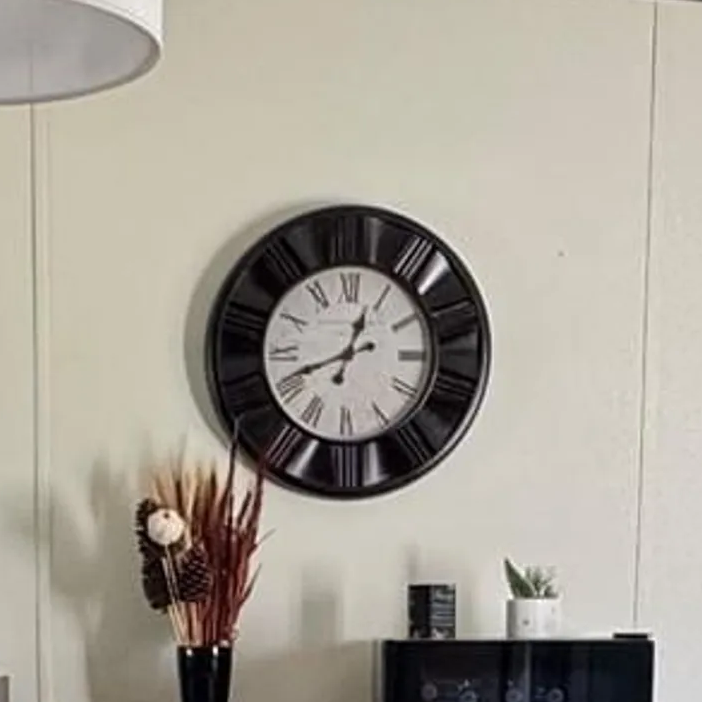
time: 12:41
